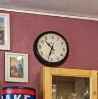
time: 10:33
